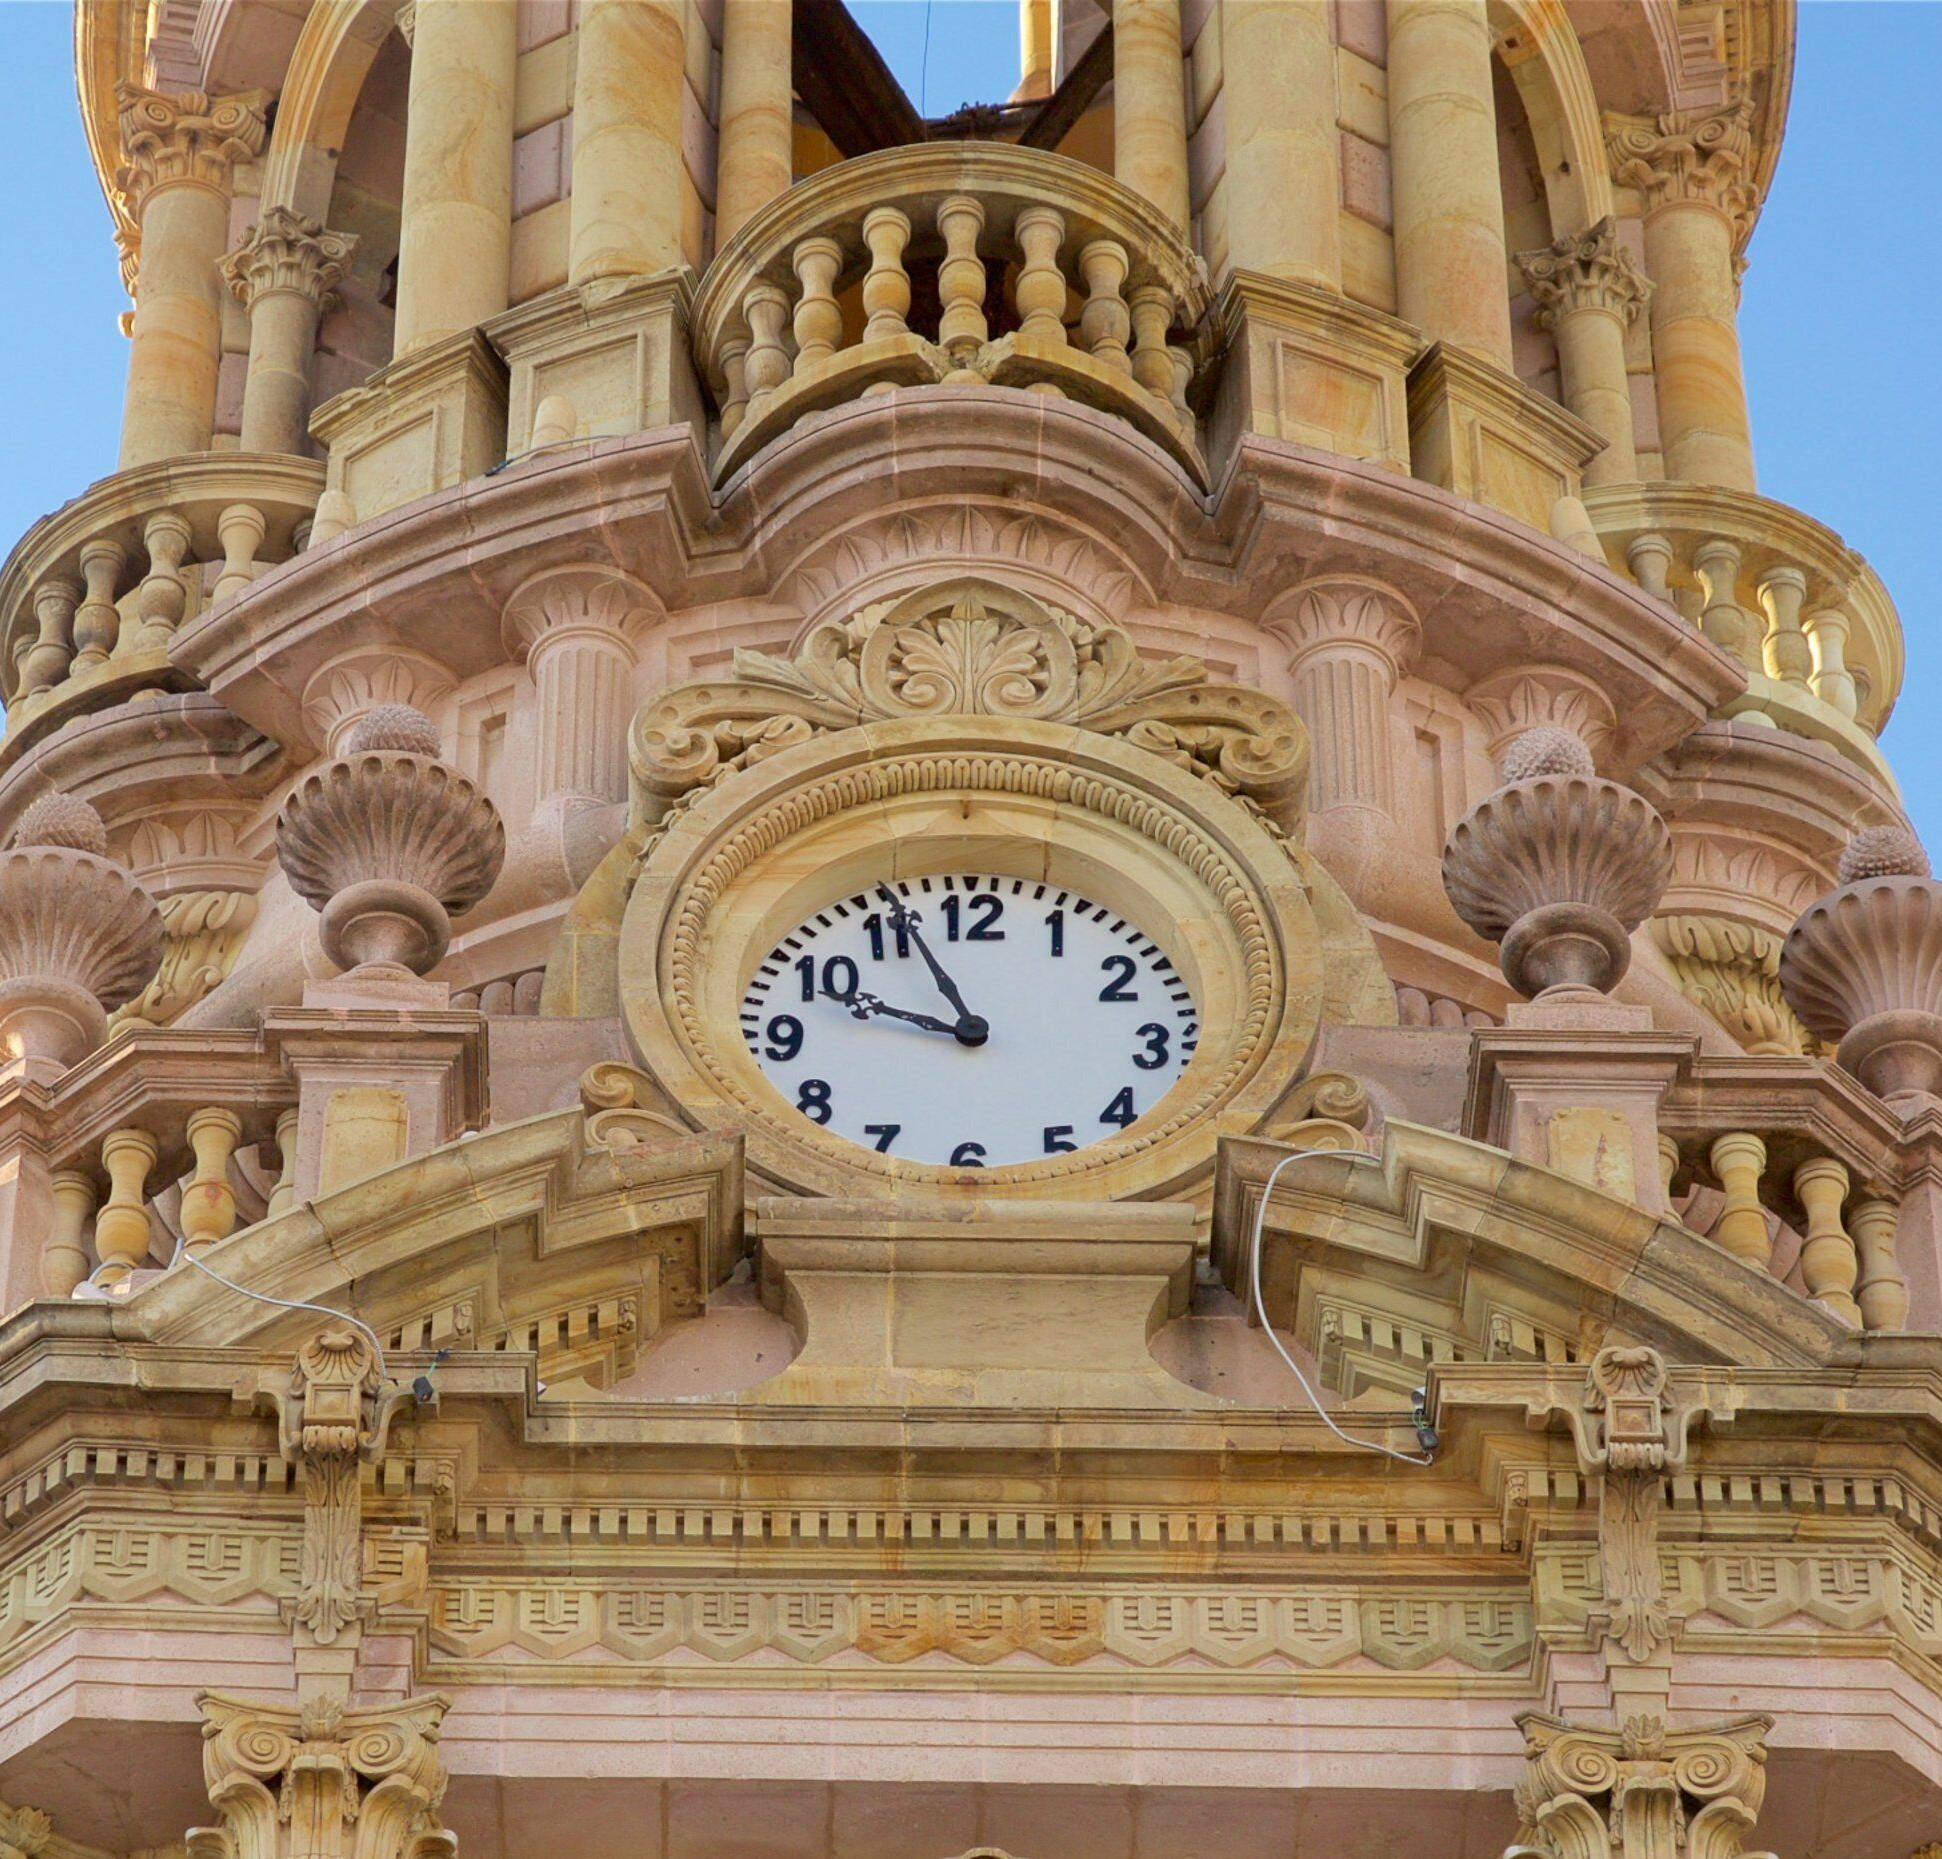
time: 9:56
